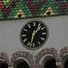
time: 1:32
